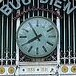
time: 7:54
